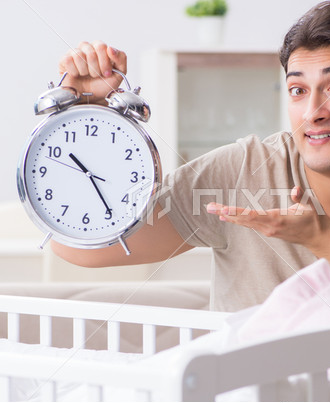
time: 10:24
